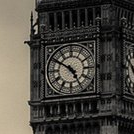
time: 4:50
